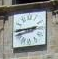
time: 2:44
